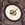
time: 8:07
